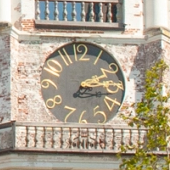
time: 2:14
